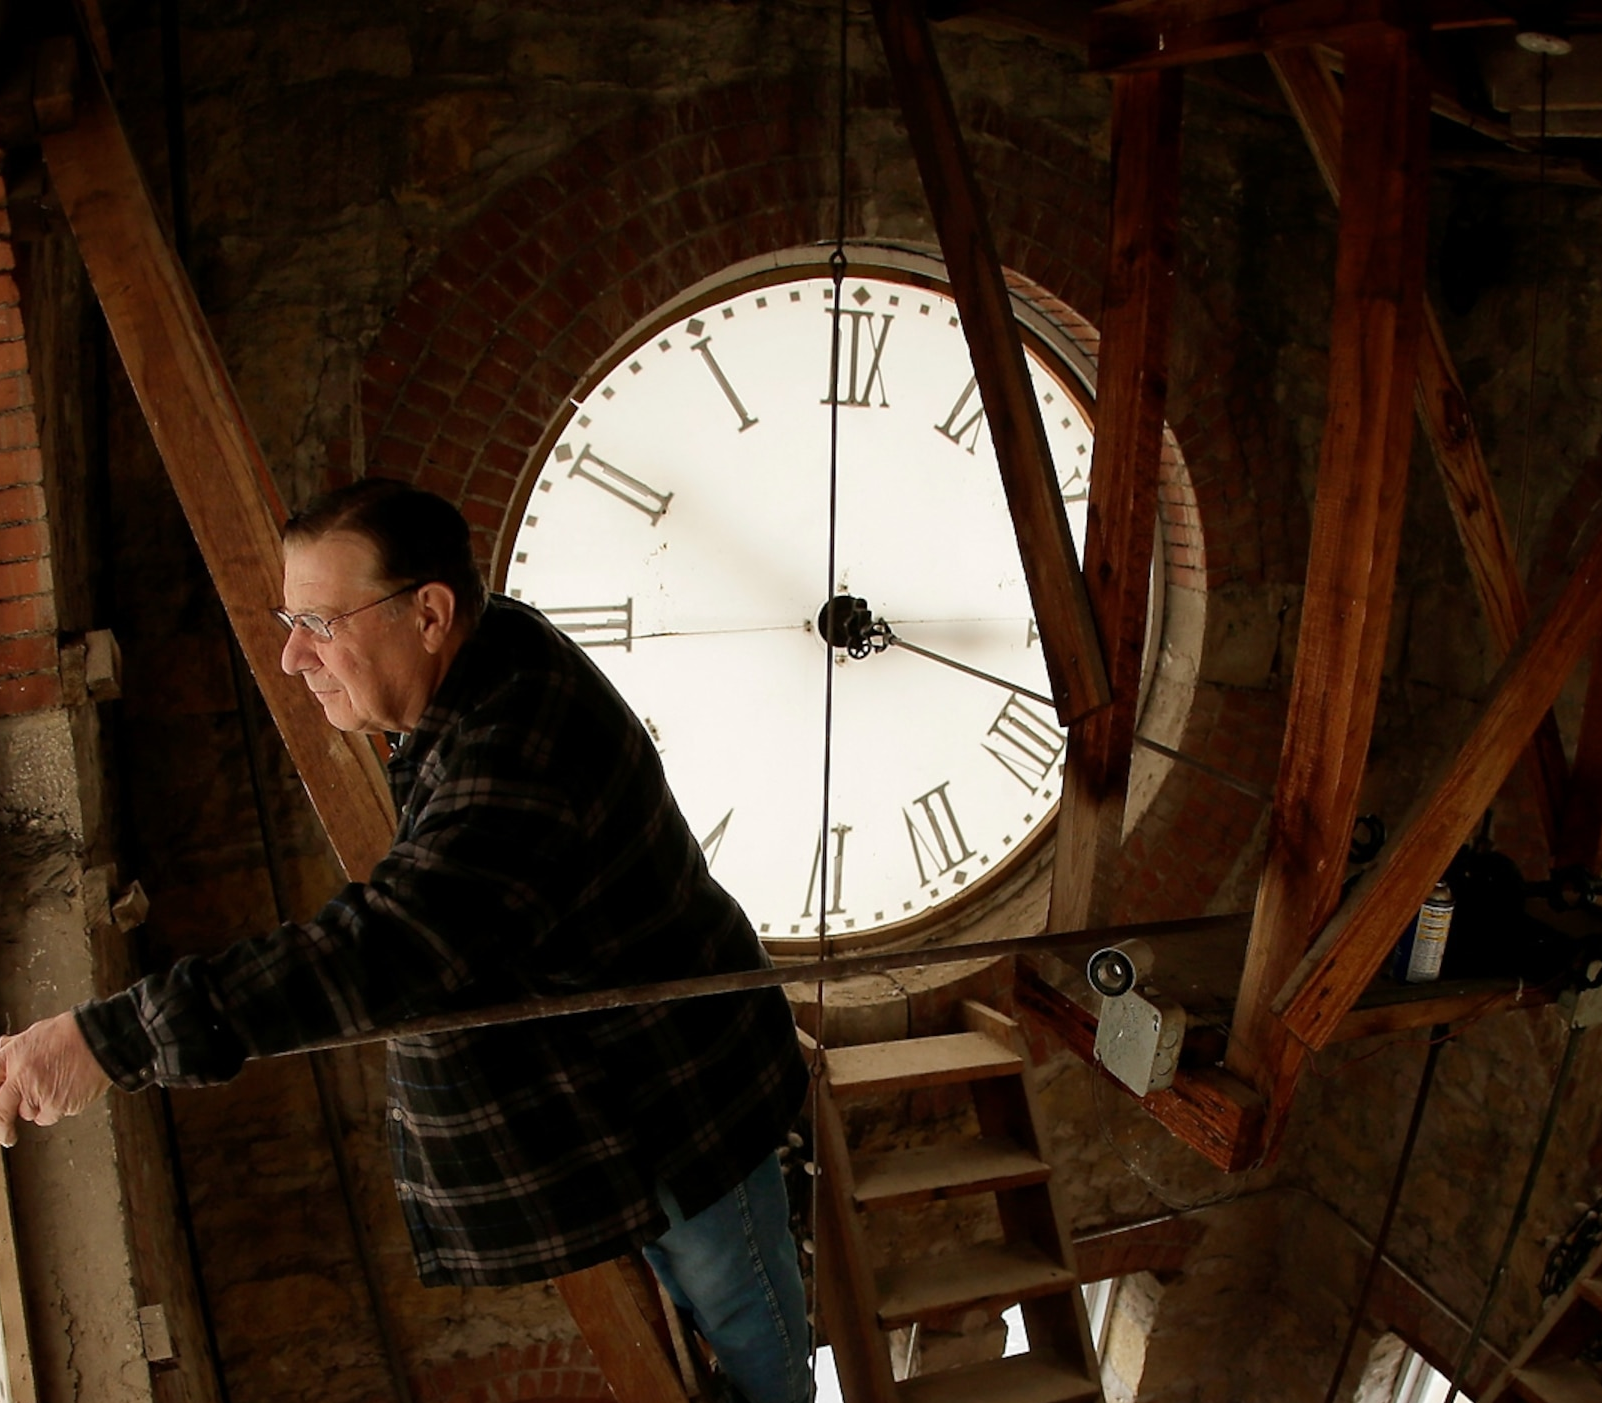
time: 5:59
